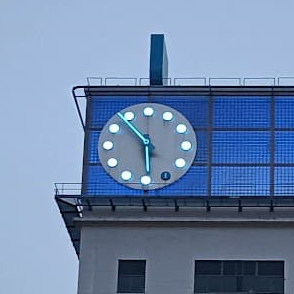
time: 5:53
